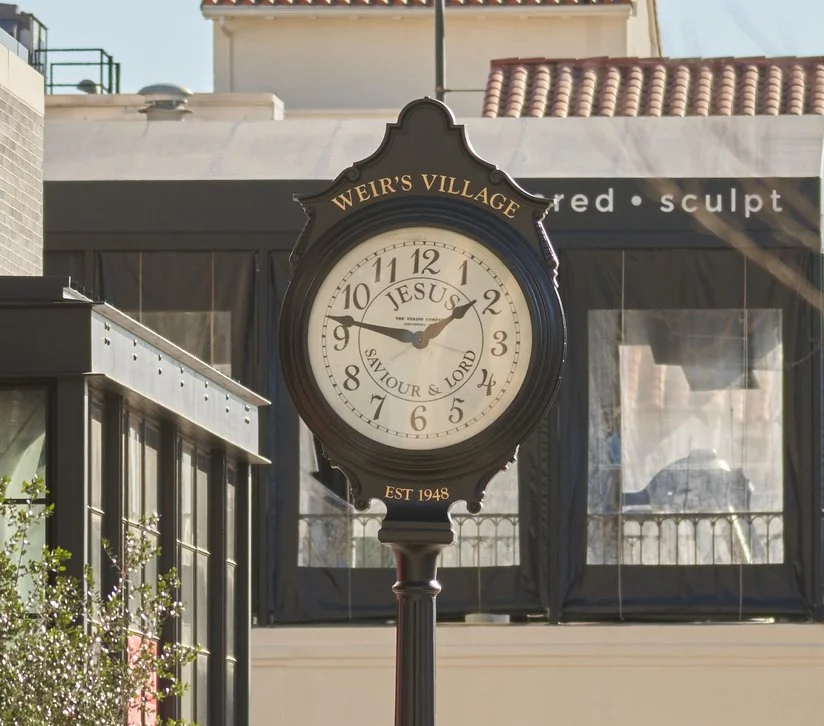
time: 1:46
